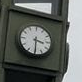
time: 3:29
